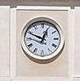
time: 12:49
